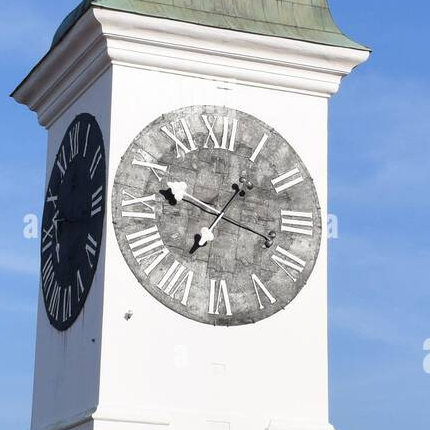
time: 1:18
